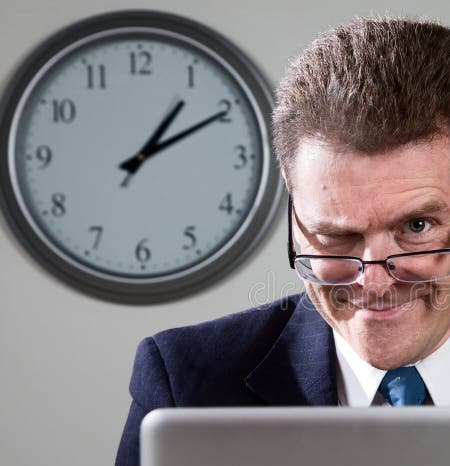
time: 1:10
